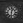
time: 12:31
